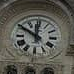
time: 11:50
